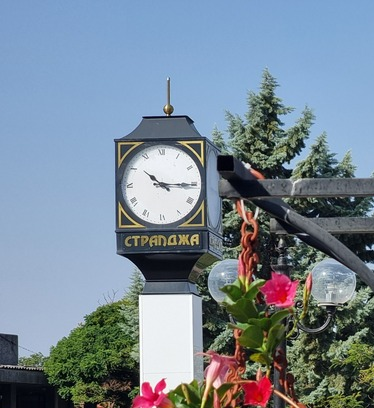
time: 10:15
